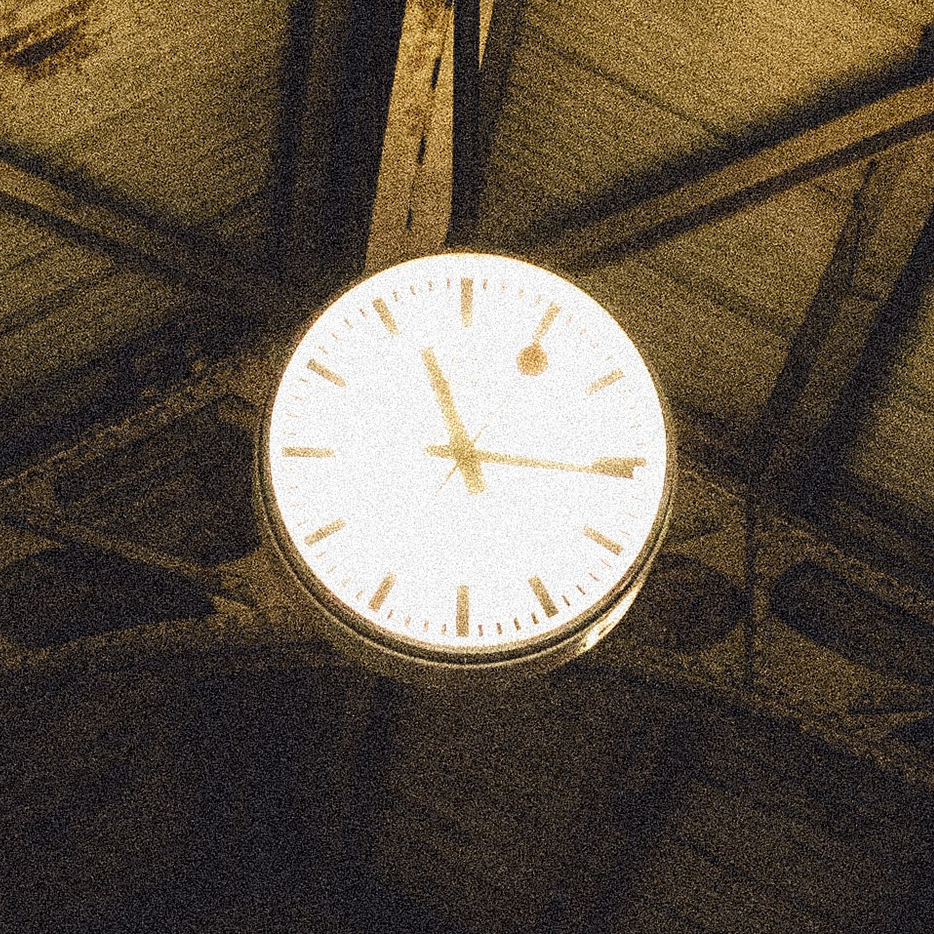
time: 11:15
